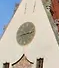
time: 8:12
